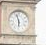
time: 5:57
